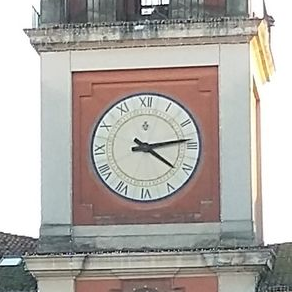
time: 4:13
